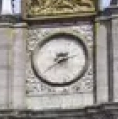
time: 2:38
